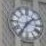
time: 1:35
